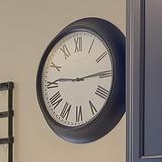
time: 9:14
